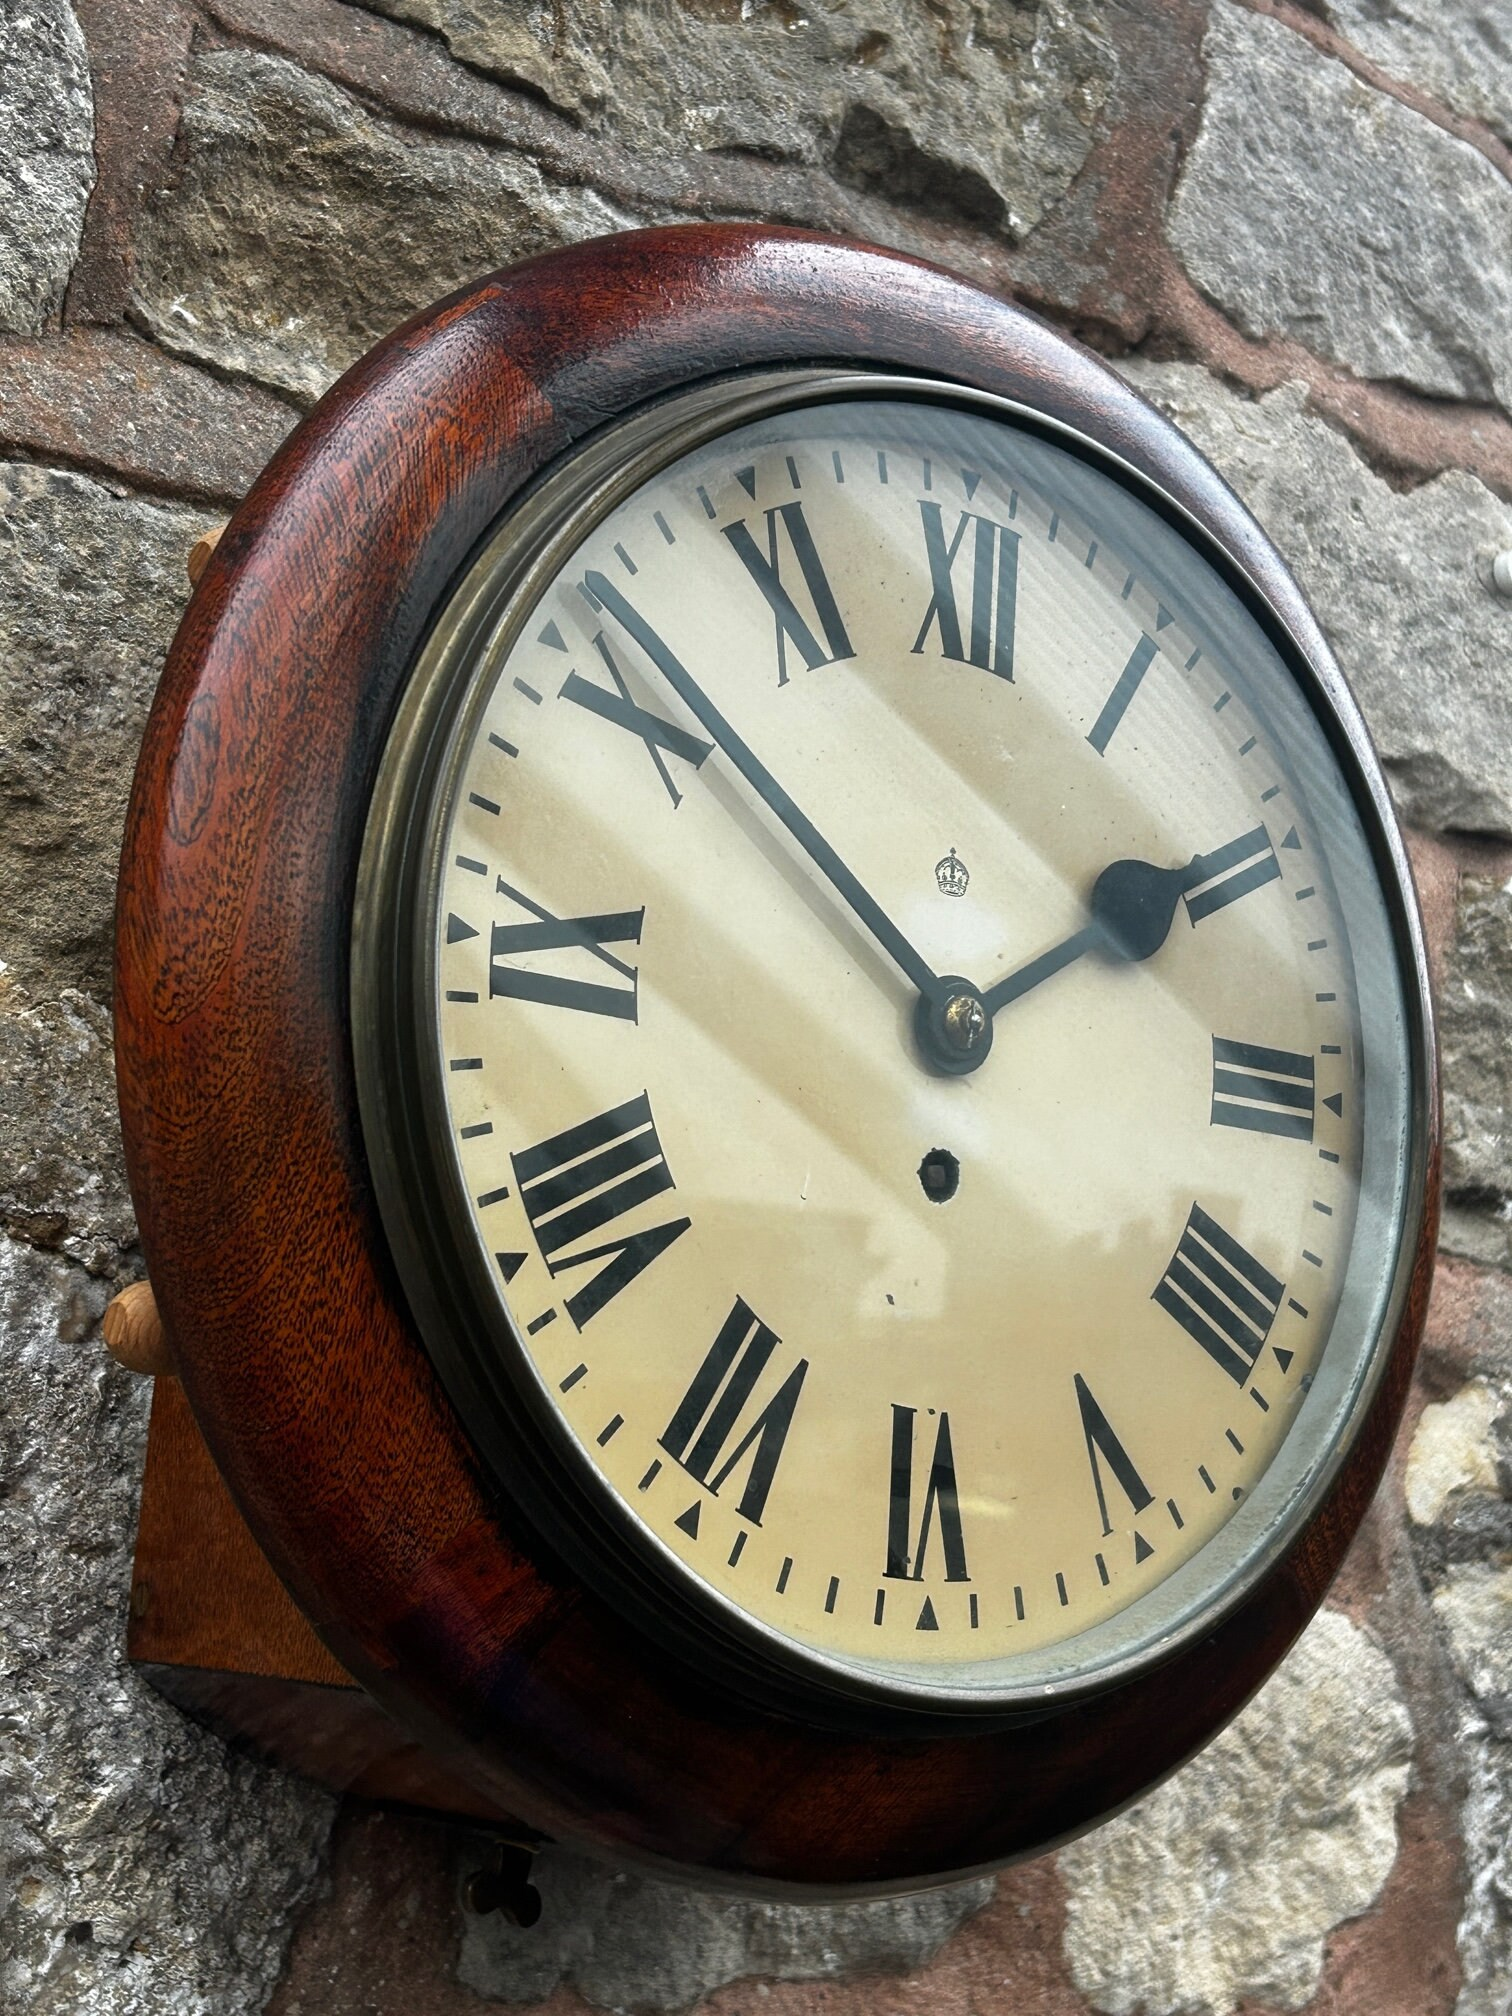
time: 1:51
